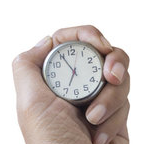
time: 6:55
